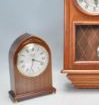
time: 6:18
